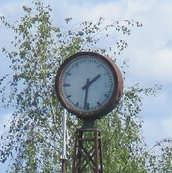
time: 1:31
